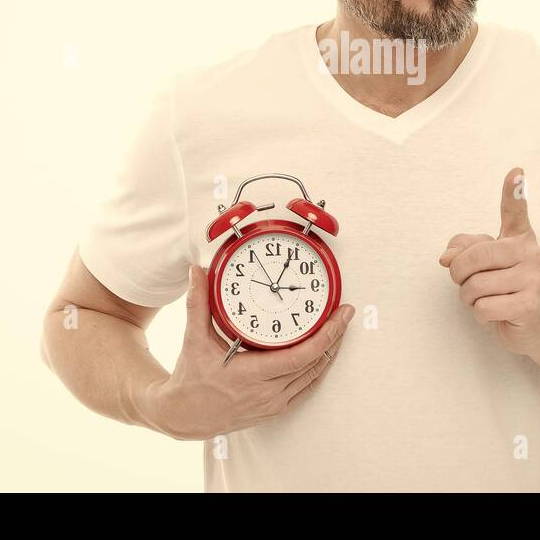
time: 3:04
